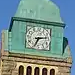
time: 7:15
